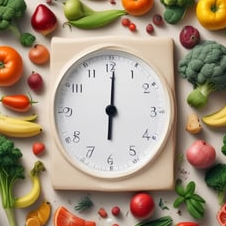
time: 6:00
